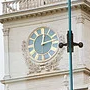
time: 2:01
